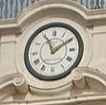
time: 11:09
